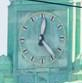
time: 12:23
